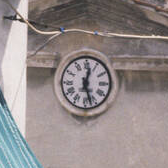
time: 12:27
